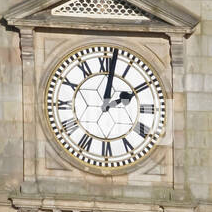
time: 2:01
